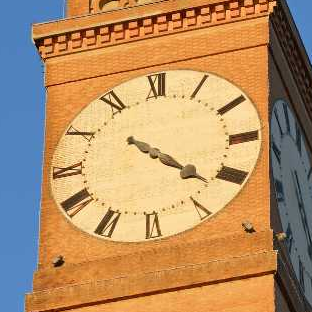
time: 4:21
